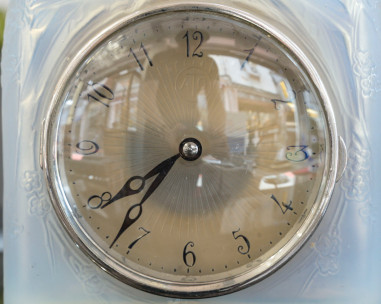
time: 7:36
